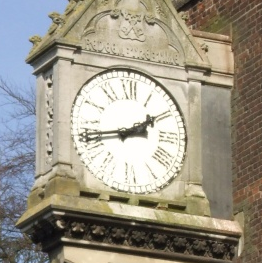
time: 1:43
